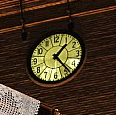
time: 1:23
